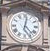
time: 12:23
